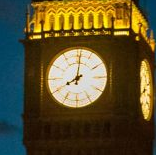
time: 8:01
